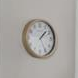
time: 1:25
